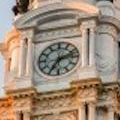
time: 7:12
